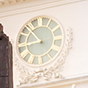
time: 8:53
